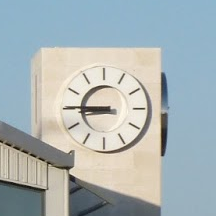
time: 8:45
